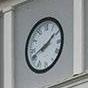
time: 1:41
